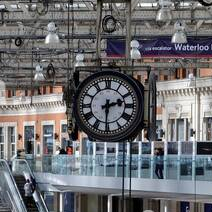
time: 2:30
